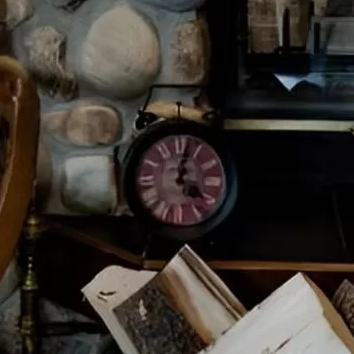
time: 4:02
